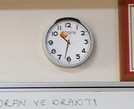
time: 10:32
